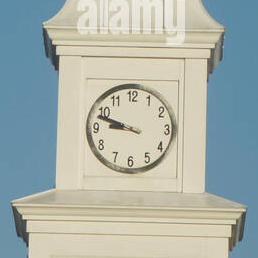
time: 8:48
